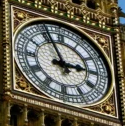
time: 2:56
